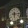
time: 6:15
